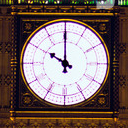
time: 9:59
